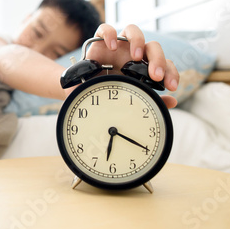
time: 6:19
